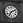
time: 7:10
